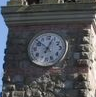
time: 12:52
